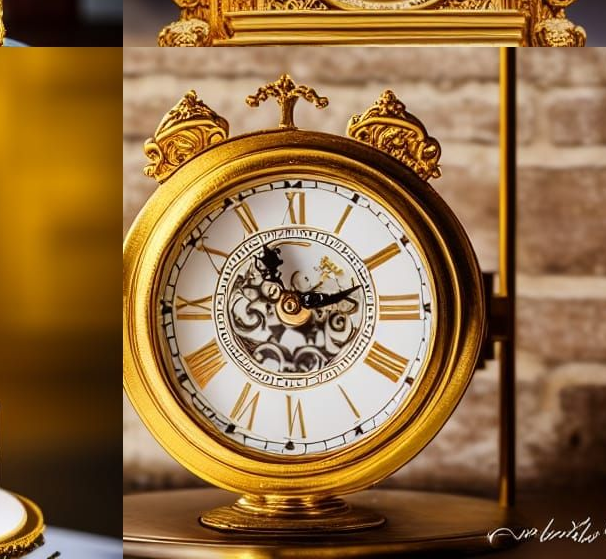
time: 11:12
